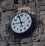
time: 8:57
